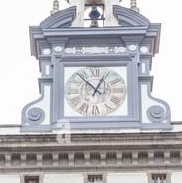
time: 12:52
